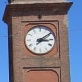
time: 3:09
